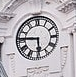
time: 5:45
